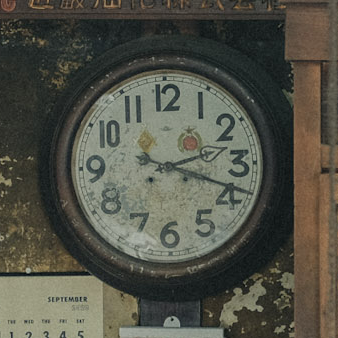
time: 2:18
